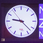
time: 9:22
